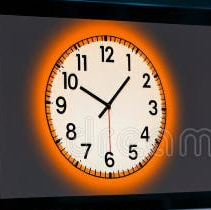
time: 10:07
